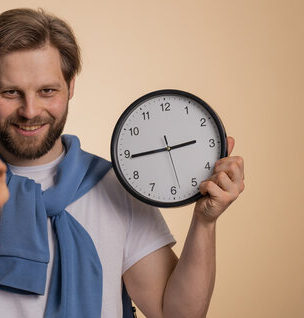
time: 2:44
